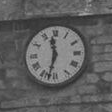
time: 11:32
